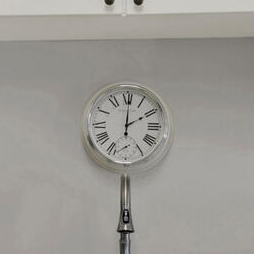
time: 2:00
